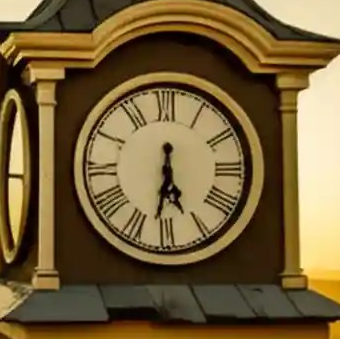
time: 5:31
